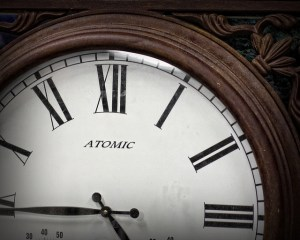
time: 4:44
